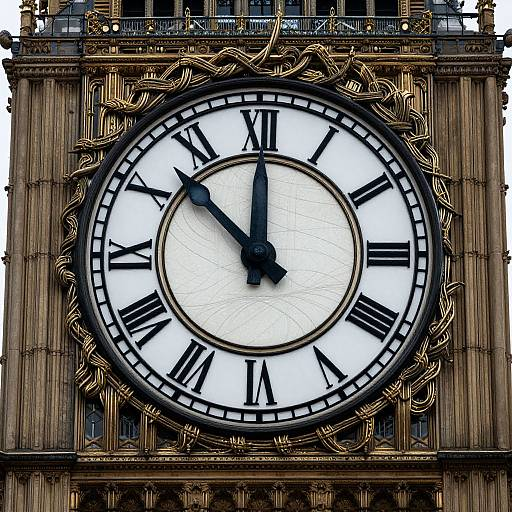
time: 11:52
